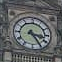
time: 3:24
